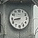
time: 8:43
